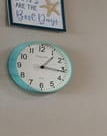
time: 1:16
